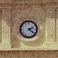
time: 2:21
